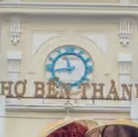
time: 8:57
